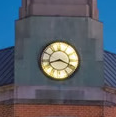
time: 8:18
